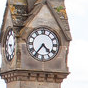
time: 4:36
